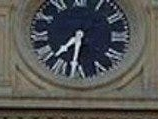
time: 7:32
